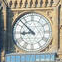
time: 8:52
